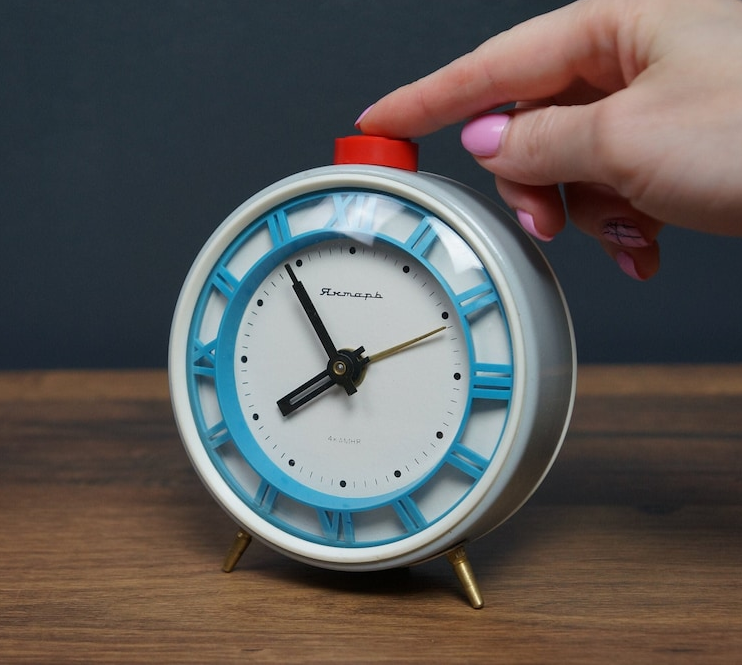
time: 7:54
